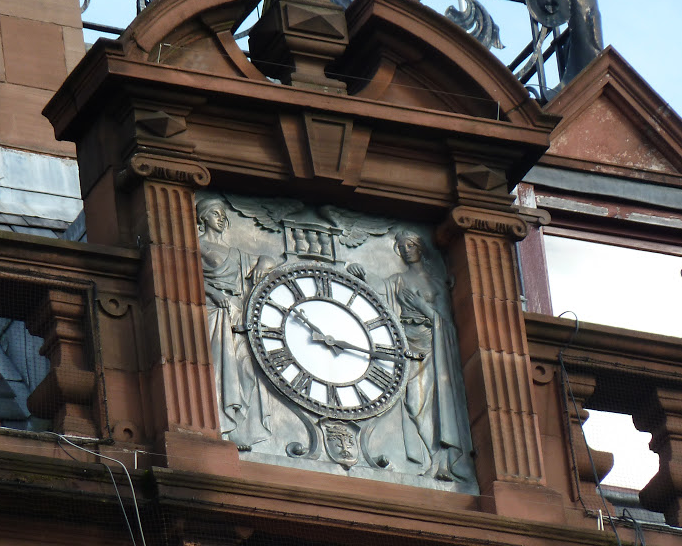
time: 10:15
